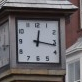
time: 12:16
